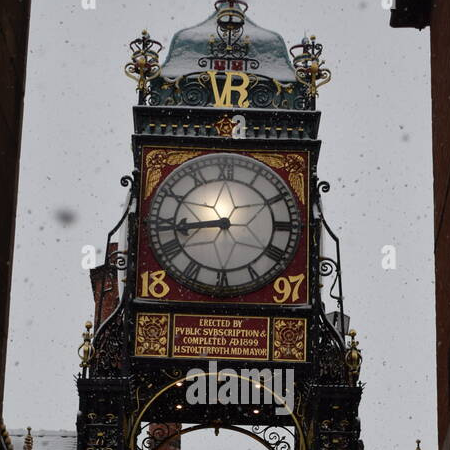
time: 8:43
